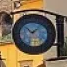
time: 10:07
